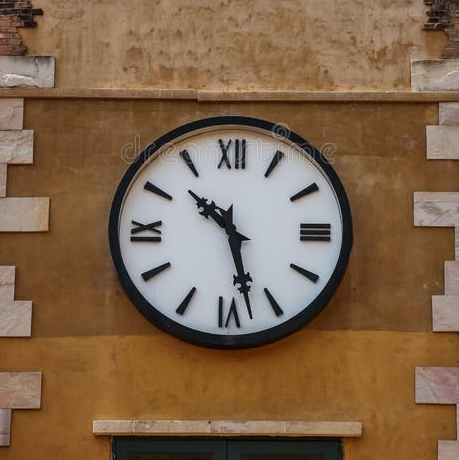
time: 10:27
